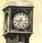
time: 8:34
